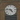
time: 4:46
